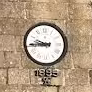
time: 9:44
